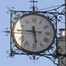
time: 5:45
